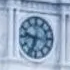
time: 9:33
